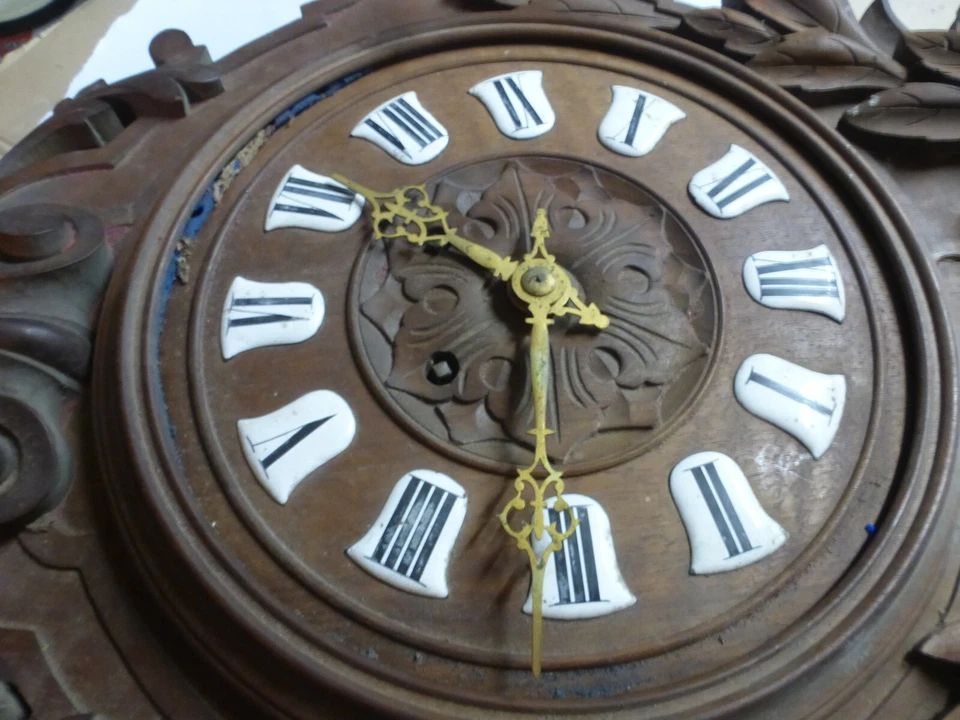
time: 10:32
